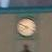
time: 7:49
